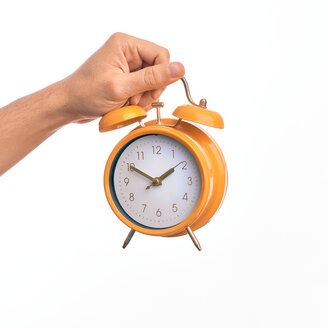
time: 1:50
